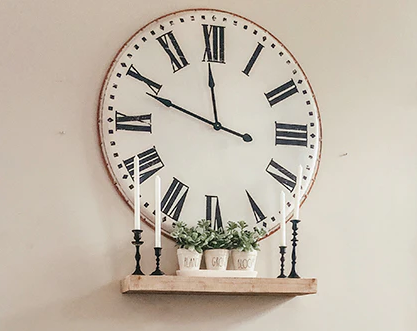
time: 11:48
